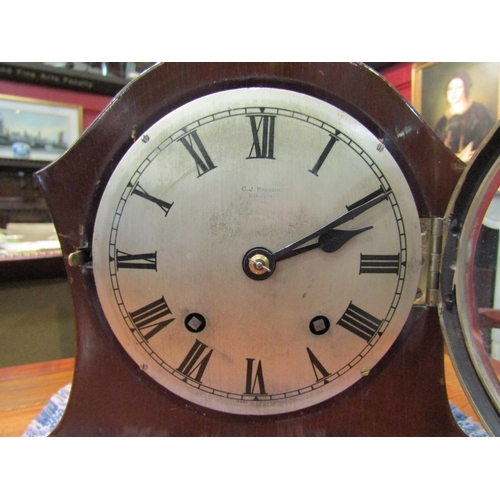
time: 2:09
